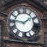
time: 1:46
